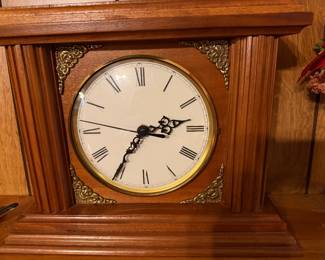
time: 2:35
